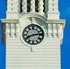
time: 8:13
